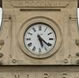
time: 5:21
